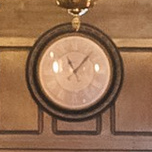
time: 11:07
